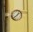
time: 1:38
